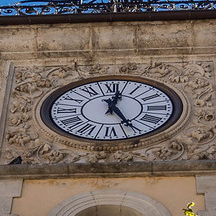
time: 12:24
